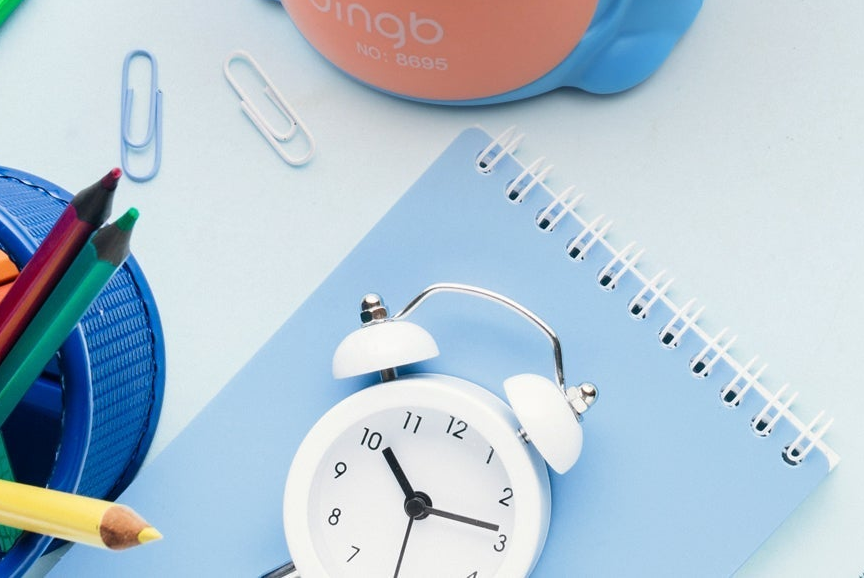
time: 10:13
